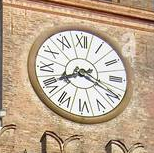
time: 8:19
